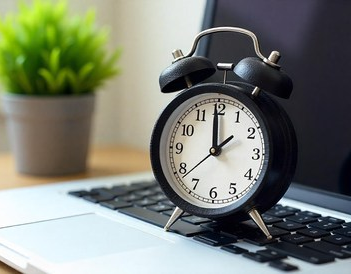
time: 11:59
